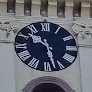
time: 10:27
